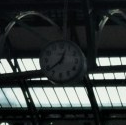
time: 12:38
